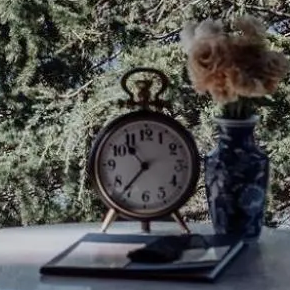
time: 10:36
